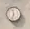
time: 11:32
